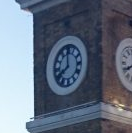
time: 7:59
